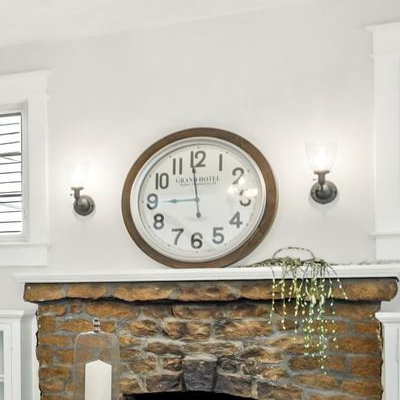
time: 8:58
